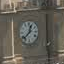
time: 12:37
